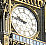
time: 9:45
